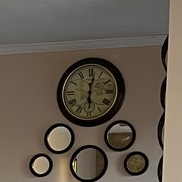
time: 6:01
